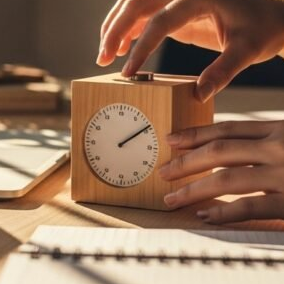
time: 2:09
